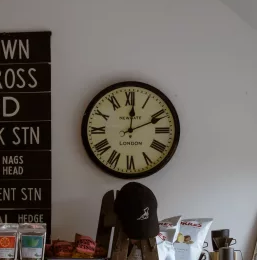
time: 12:11
